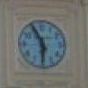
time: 5:55
